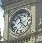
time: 11:22
